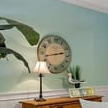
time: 2:42
